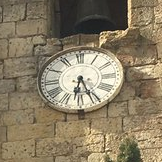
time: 6:26
